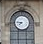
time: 7:46
